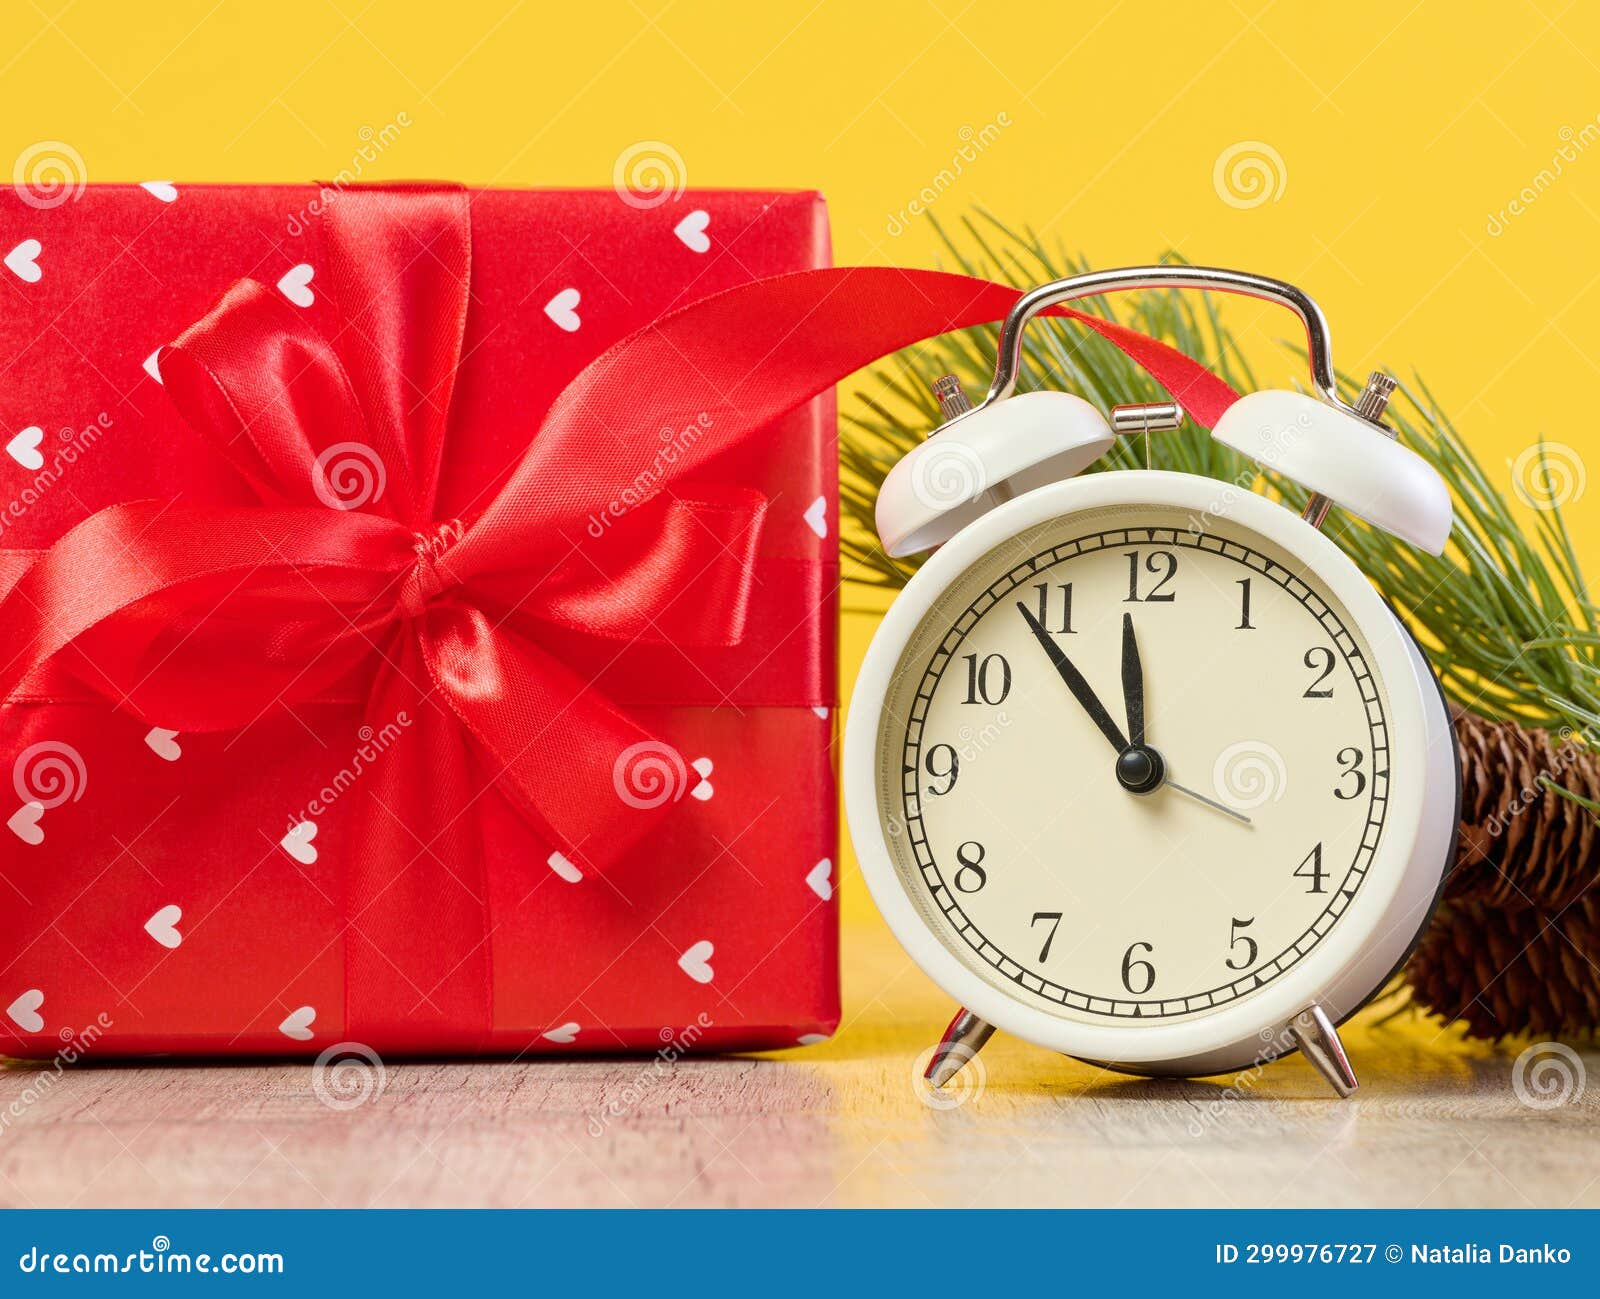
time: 11:53
